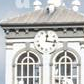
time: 12:16
